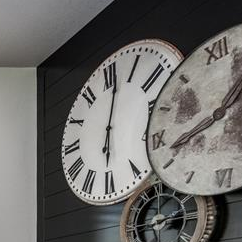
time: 6:02
